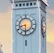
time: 8:30
